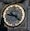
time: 9:22
